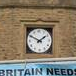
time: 1:50
